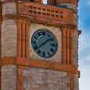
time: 1:39
